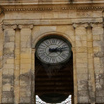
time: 3:12
